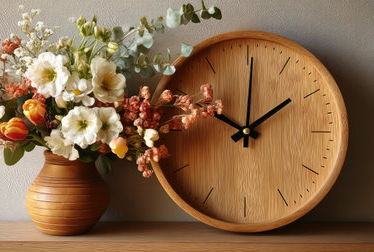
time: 2:00
